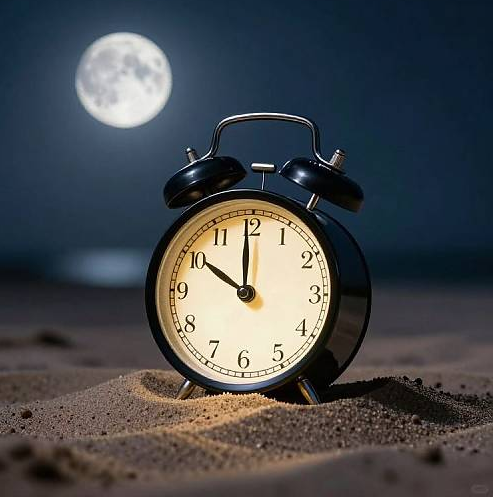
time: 9:59
